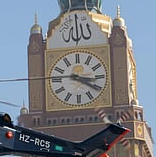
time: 3:20
